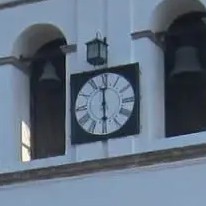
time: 5:59
